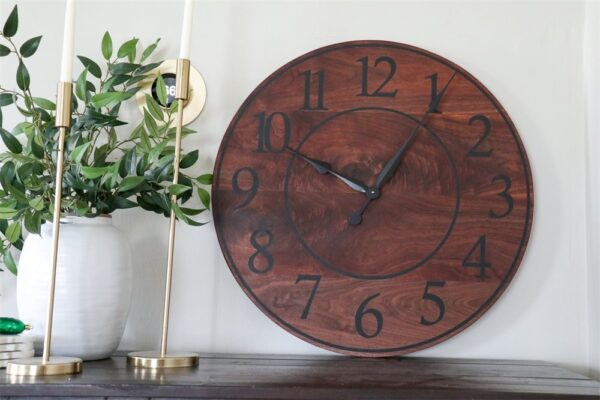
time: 10:05
